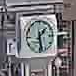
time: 1:28
